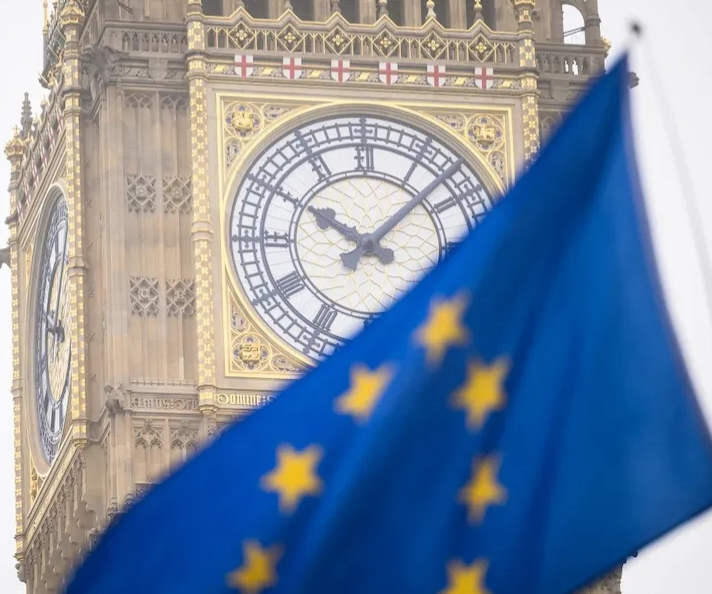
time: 10:07
